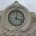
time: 12:16
